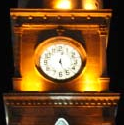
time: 12:26
